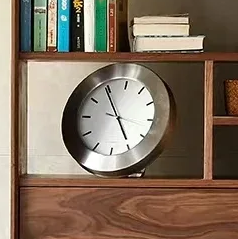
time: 4:54
